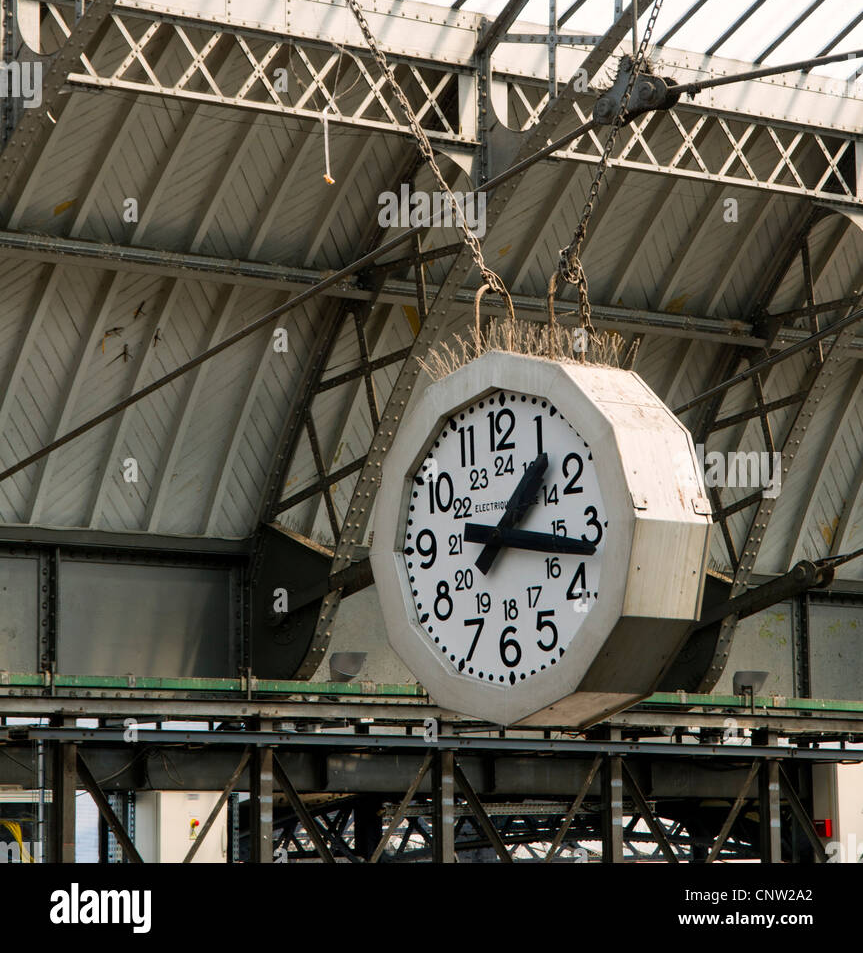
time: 1:16
